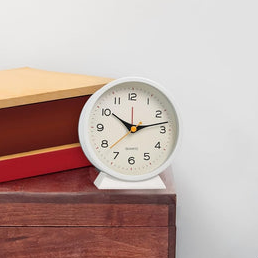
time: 10:12
